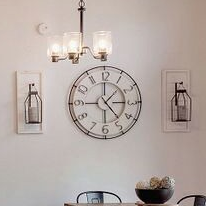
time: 1:23
